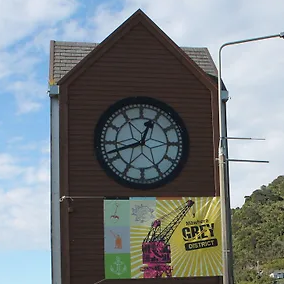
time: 12:42
